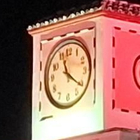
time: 11:21
